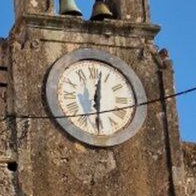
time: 12:30
